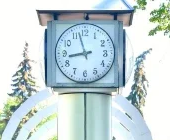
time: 8:57
